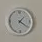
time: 1:20
